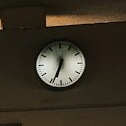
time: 11:33
